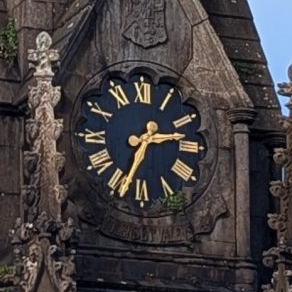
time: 2:33
